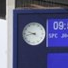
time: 9:42
